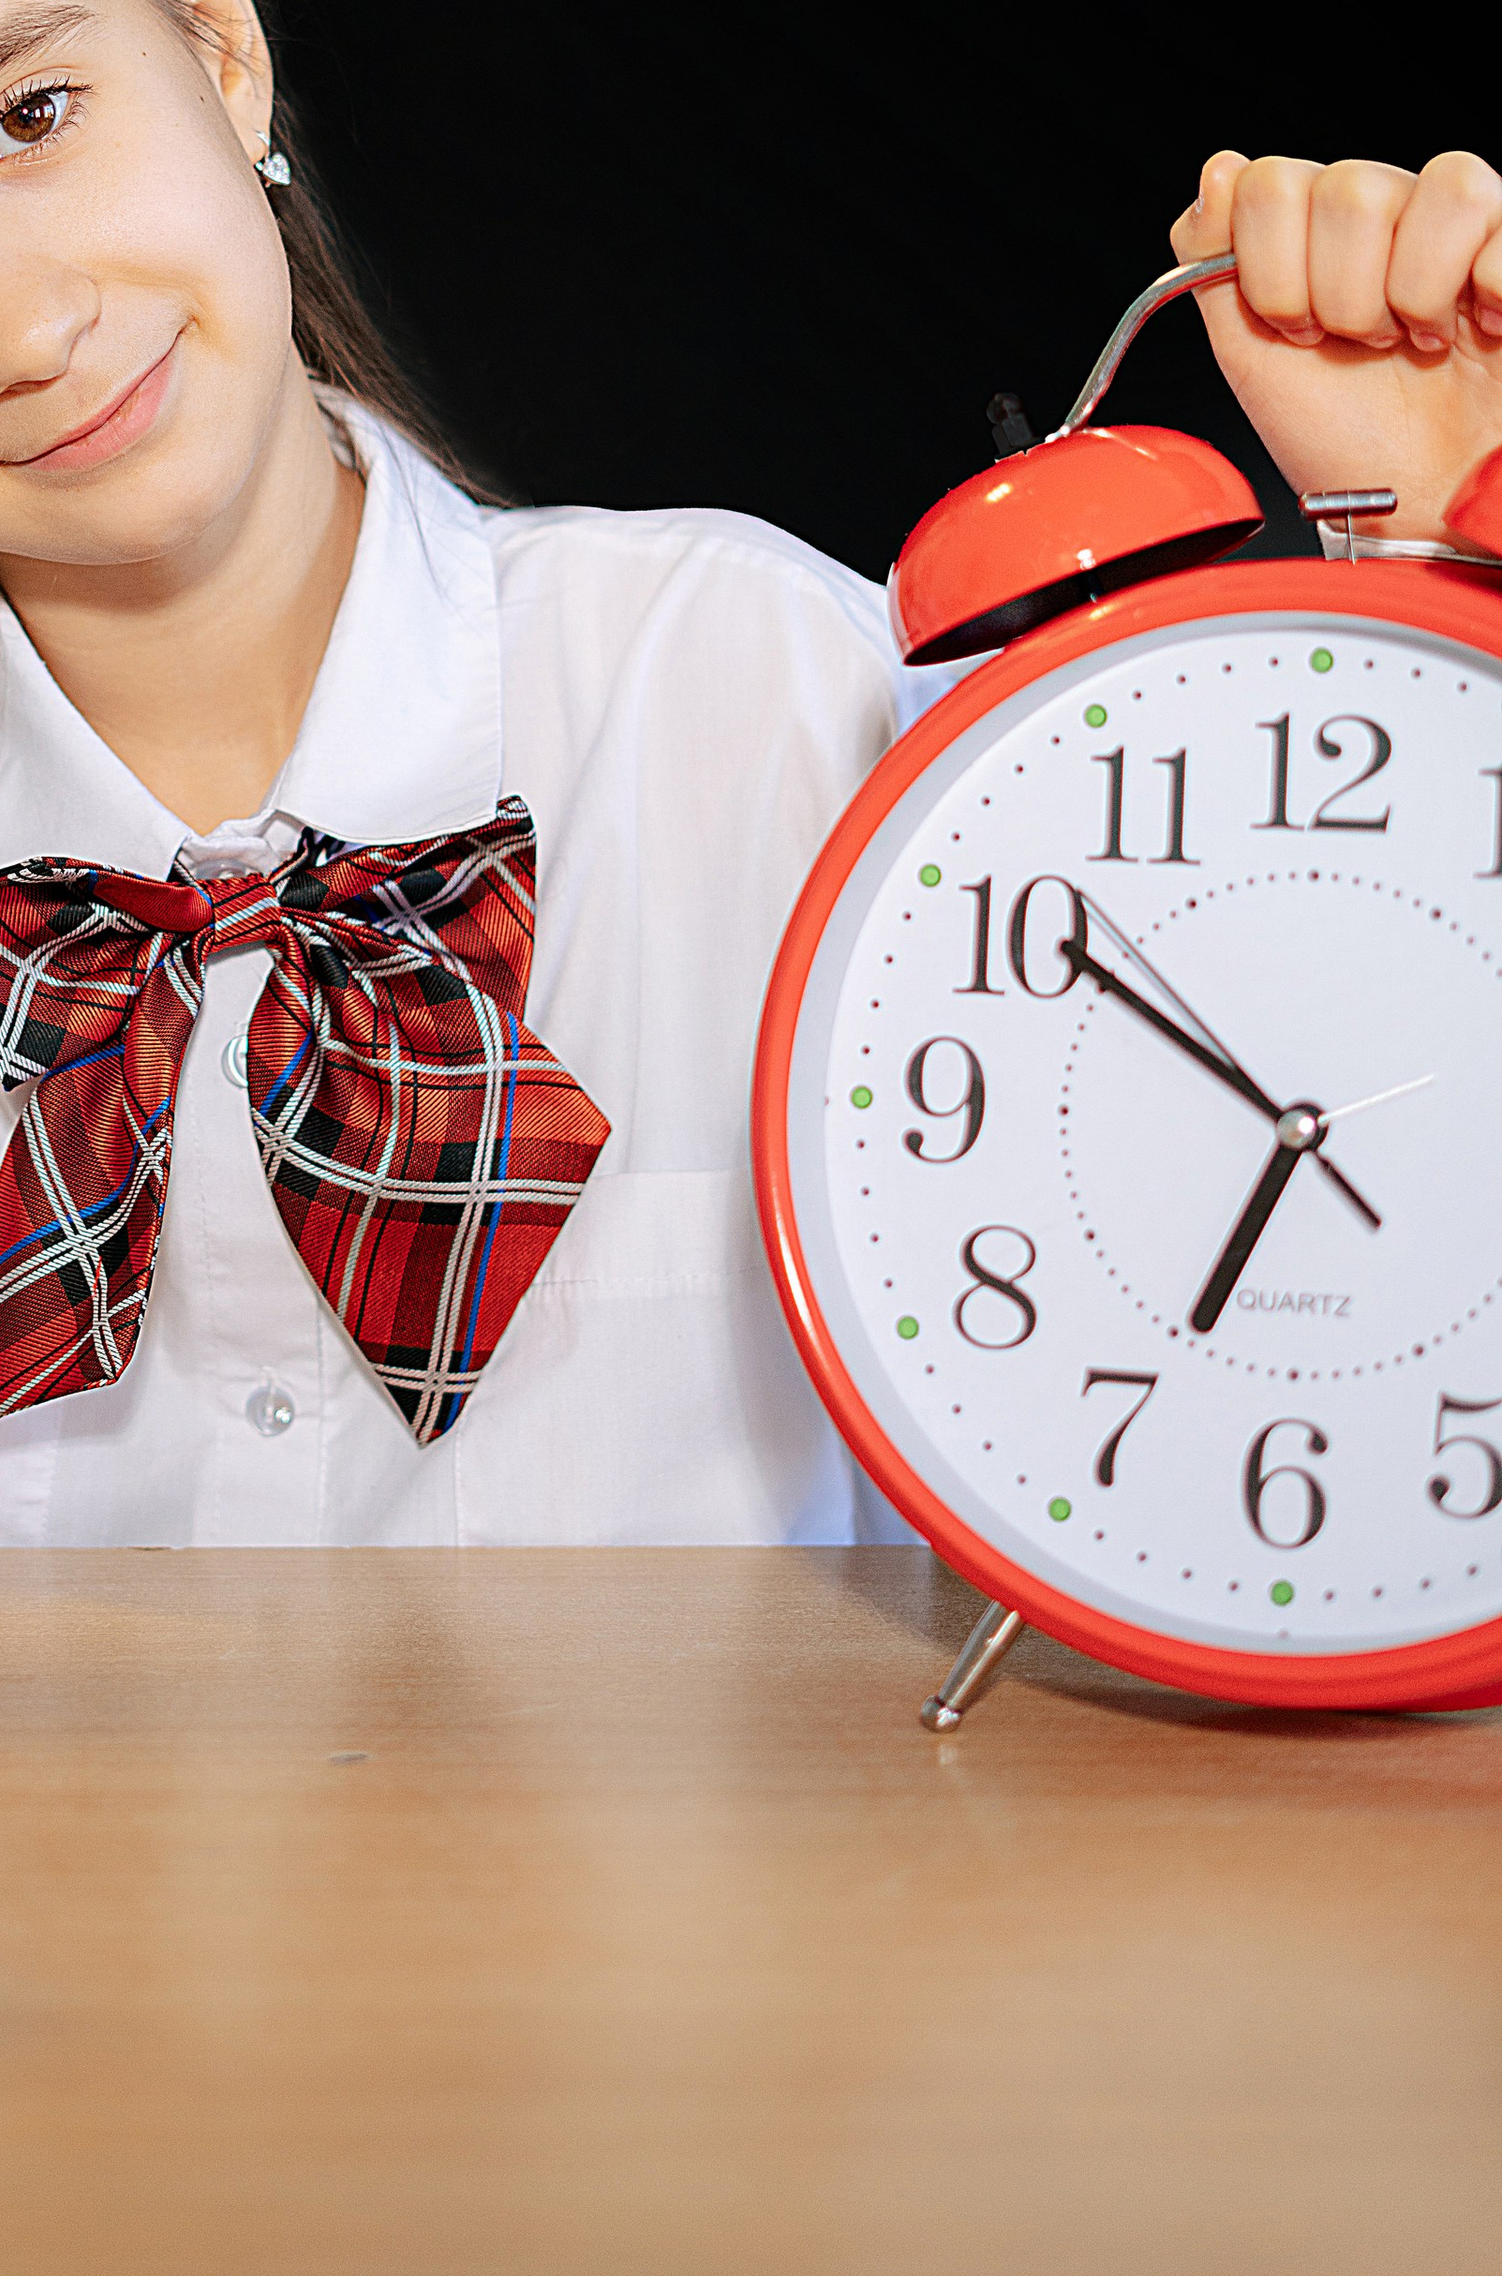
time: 6:50
